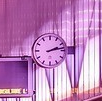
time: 2:12
